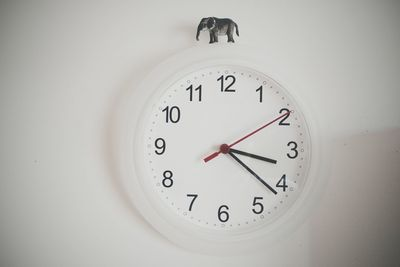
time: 3:21
